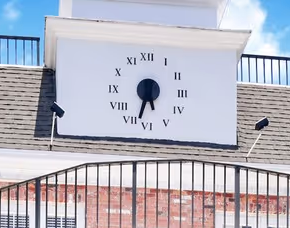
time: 5:32
